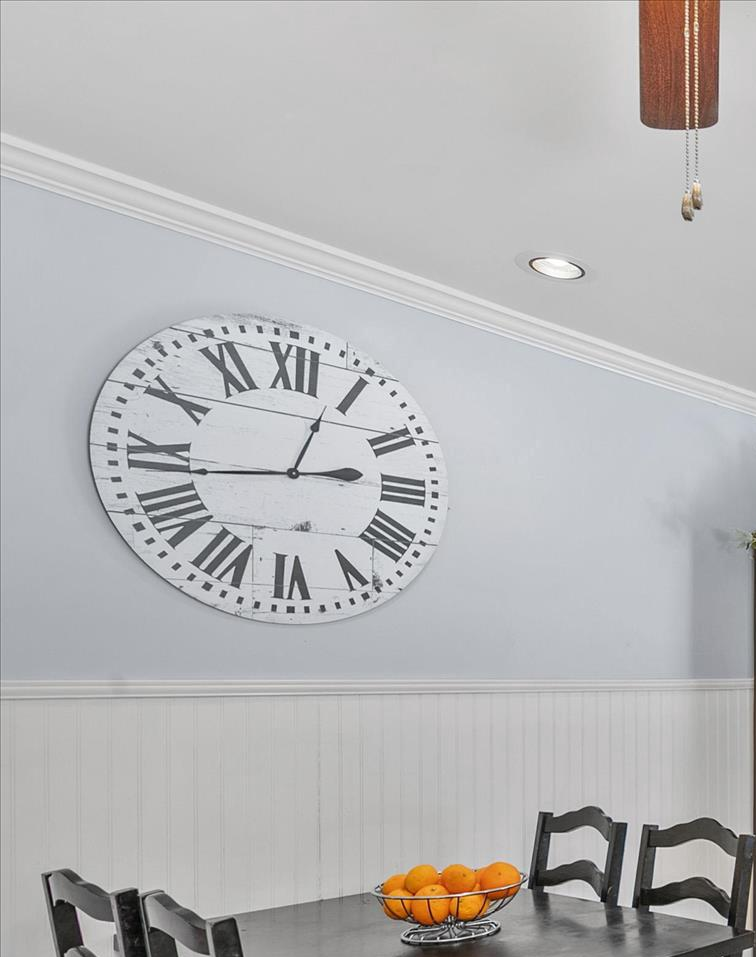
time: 2:43
